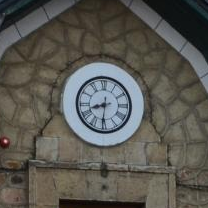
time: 8:30
